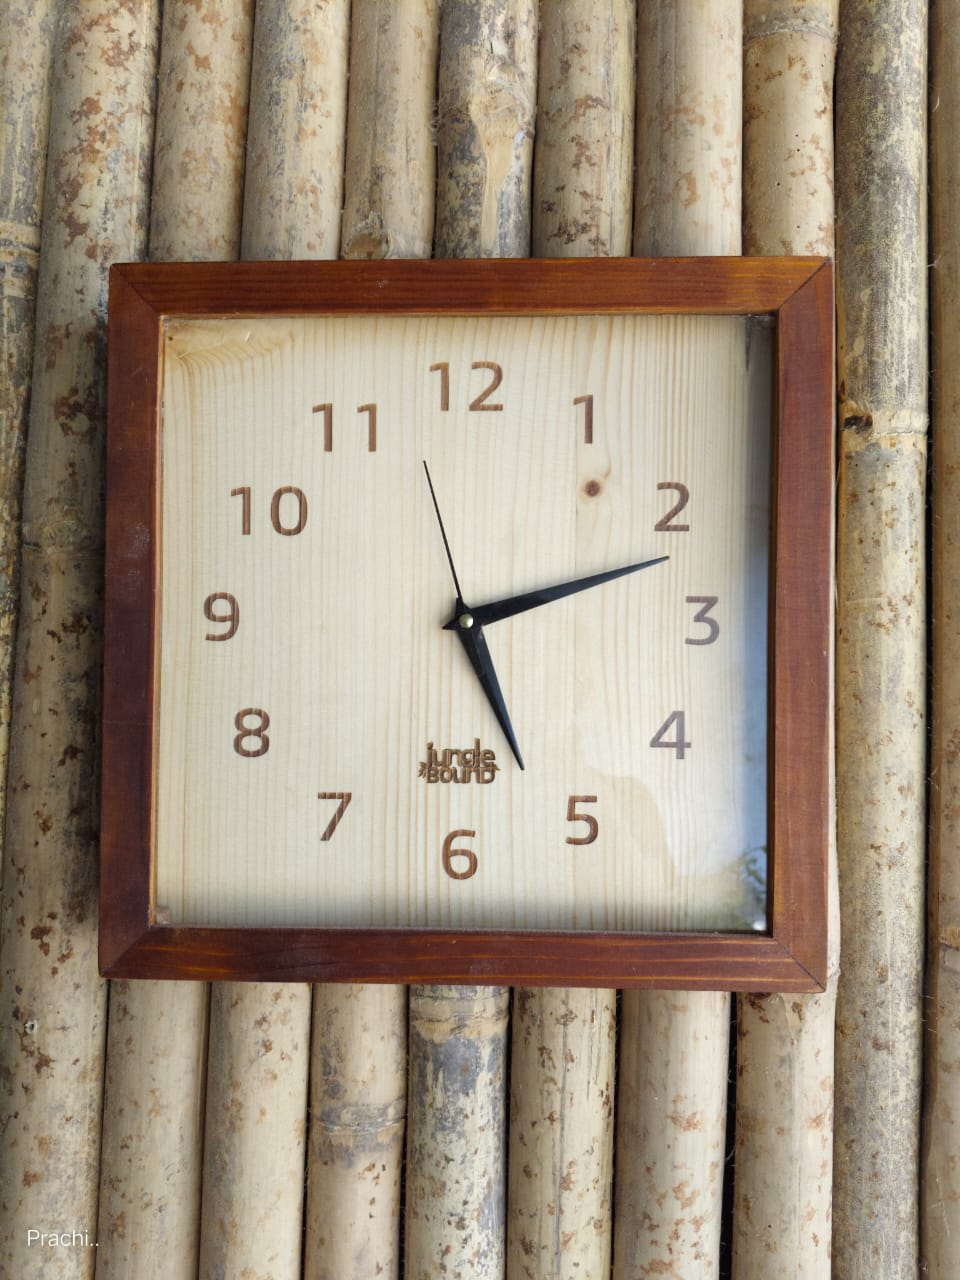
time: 5:11
